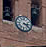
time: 3:21
